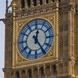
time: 12:24
